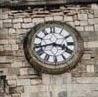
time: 3:43
